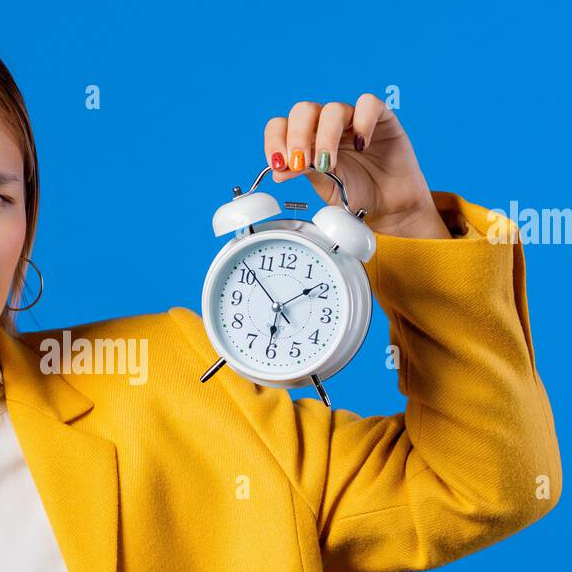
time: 6:08
